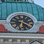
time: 6:20
